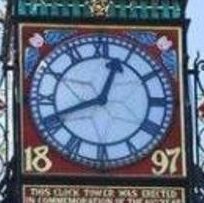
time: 12:41
